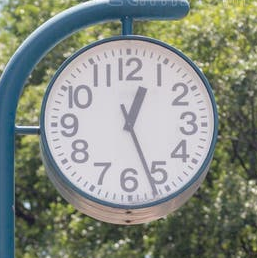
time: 12:26
